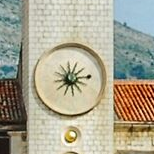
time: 1:13
